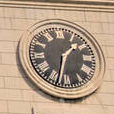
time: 1:32
